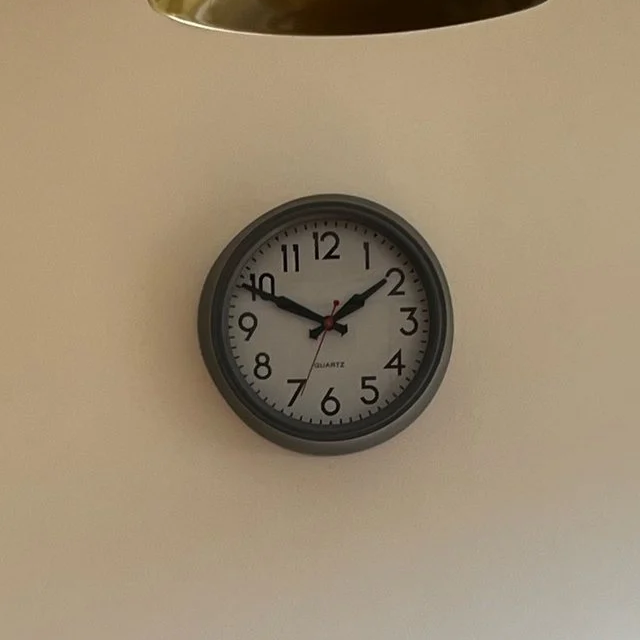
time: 1:49
